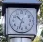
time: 10:33
